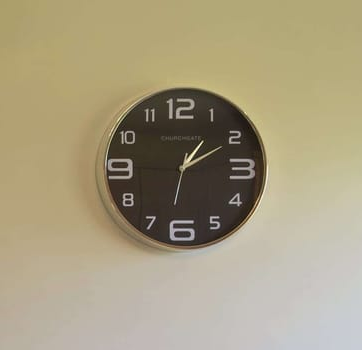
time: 1:10
